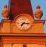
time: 7:15
